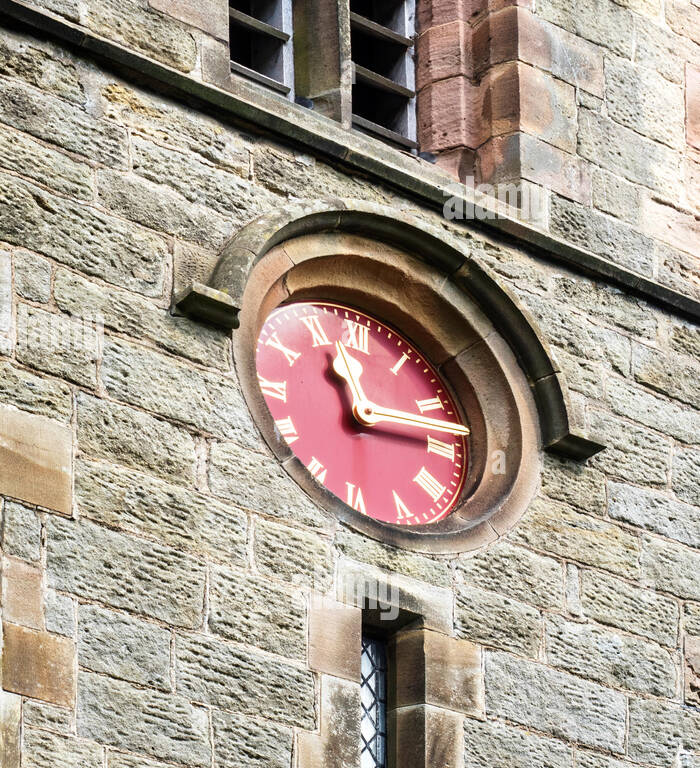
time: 11:13
